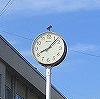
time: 8:07
